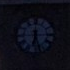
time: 6:27
